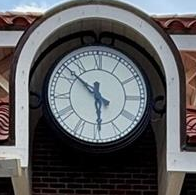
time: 5:51
